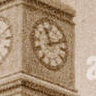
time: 11:11
